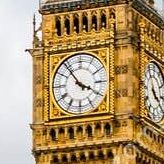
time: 3:54
